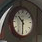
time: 10:30
